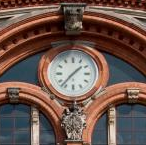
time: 1:37
